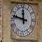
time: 11:47
